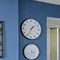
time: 1:34
